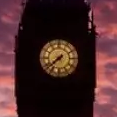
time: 7:38
